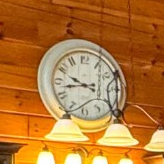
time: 9:42
